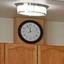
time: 11:11
